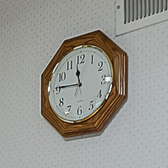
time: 11:45
